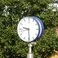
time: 9:28
